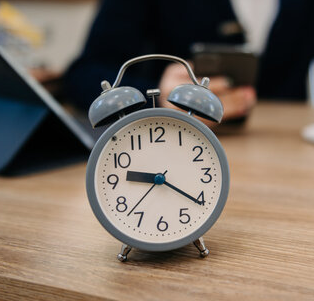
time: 9:20
